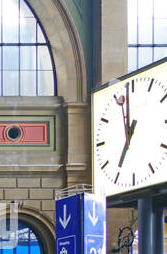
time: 6:58
